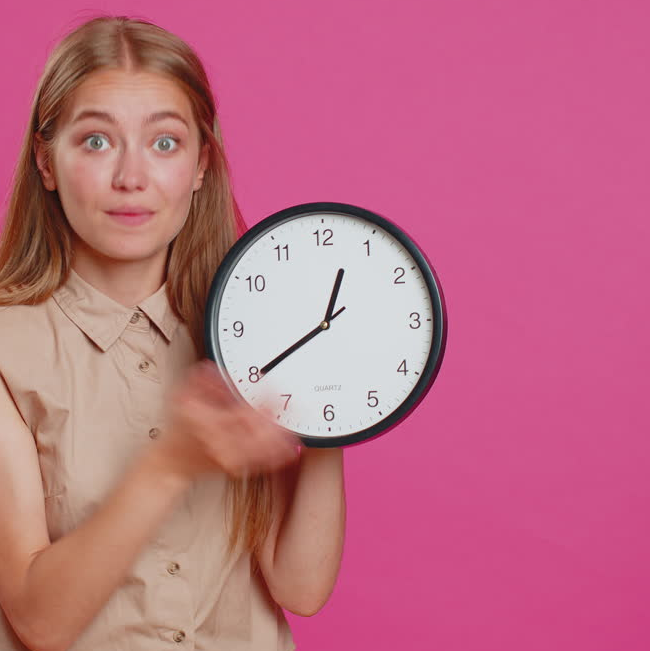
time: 12:39
